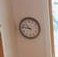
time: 10:46
